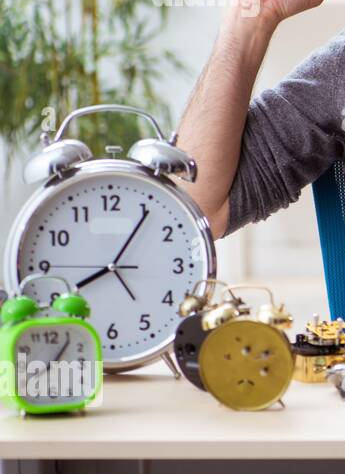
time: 8:05
